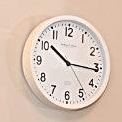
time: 10:15
